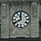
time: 11:40
